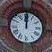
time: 12:00
